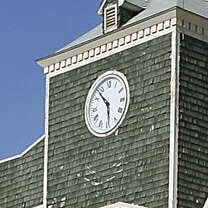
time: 5:53
